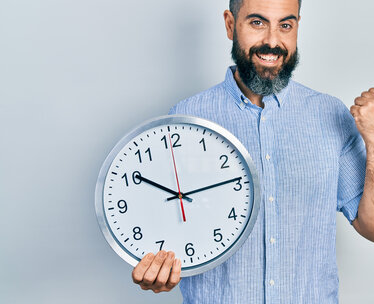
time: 10:13
